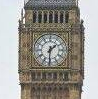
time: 1:30
